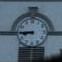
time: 8:45
